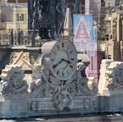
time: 3:39
